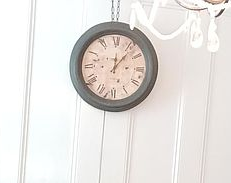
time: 12:06
